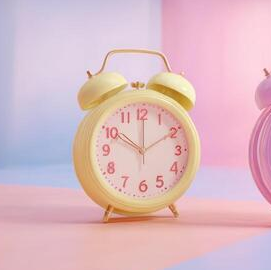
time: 10:00
